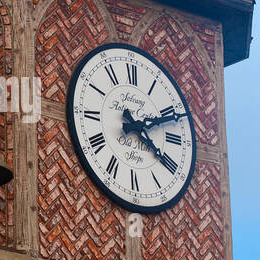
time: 4:11
